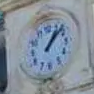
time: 1:07
